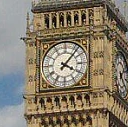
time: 4:07
